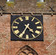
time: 4:34
